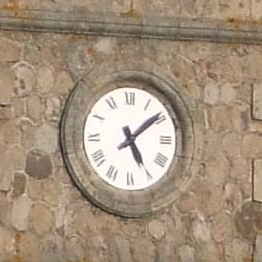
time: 5:08
